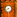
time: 8:38
